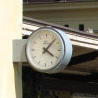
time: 4:07
